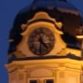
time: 4:31
